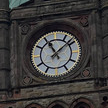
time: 11:08
